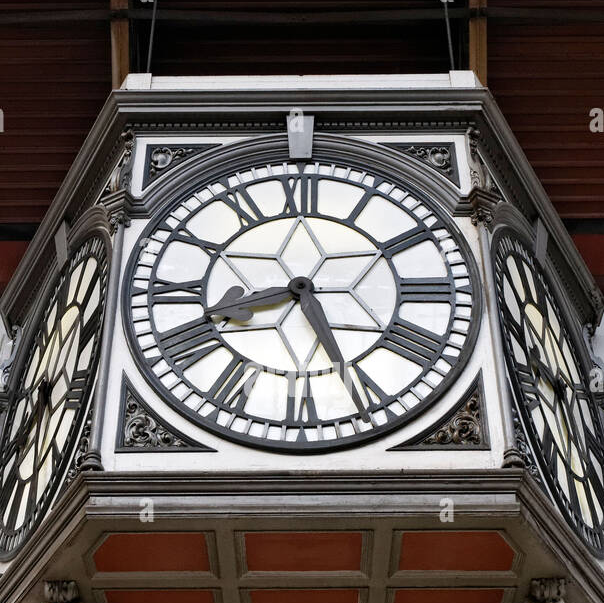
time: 8:25
